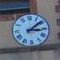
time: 3:08
